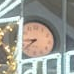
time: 8:38
